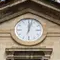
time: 12:02
